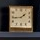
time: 1:43
